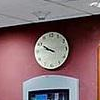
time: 9:50
